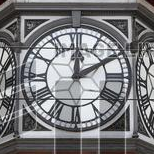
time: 12:10
